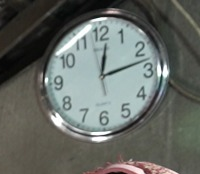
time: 12:12
